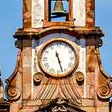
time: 11:27
